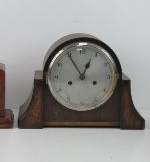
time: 12:54
